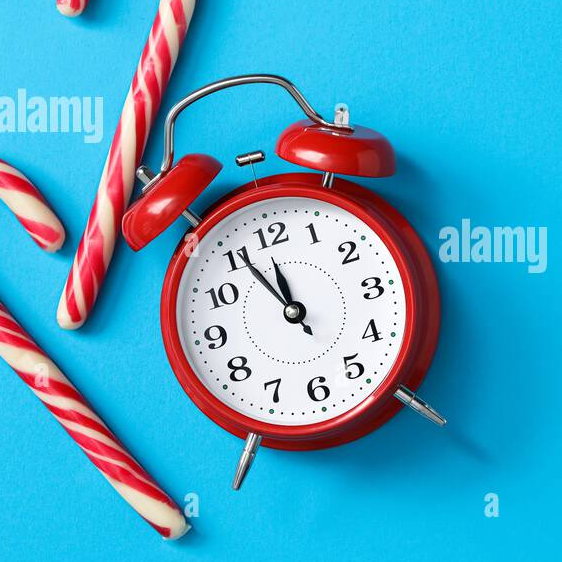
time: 11:55
